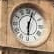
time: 6:03
